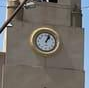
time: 1:03
